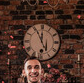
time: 11:55
